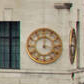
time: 12:16
